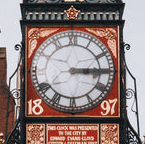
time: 3:14
